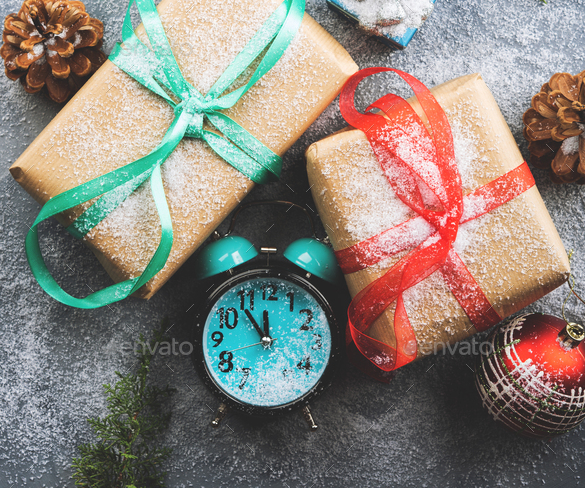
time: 11:53
